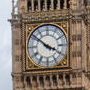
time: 3:51
